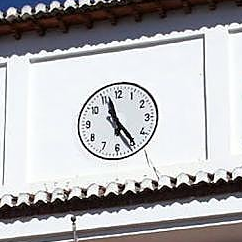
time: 11:24
